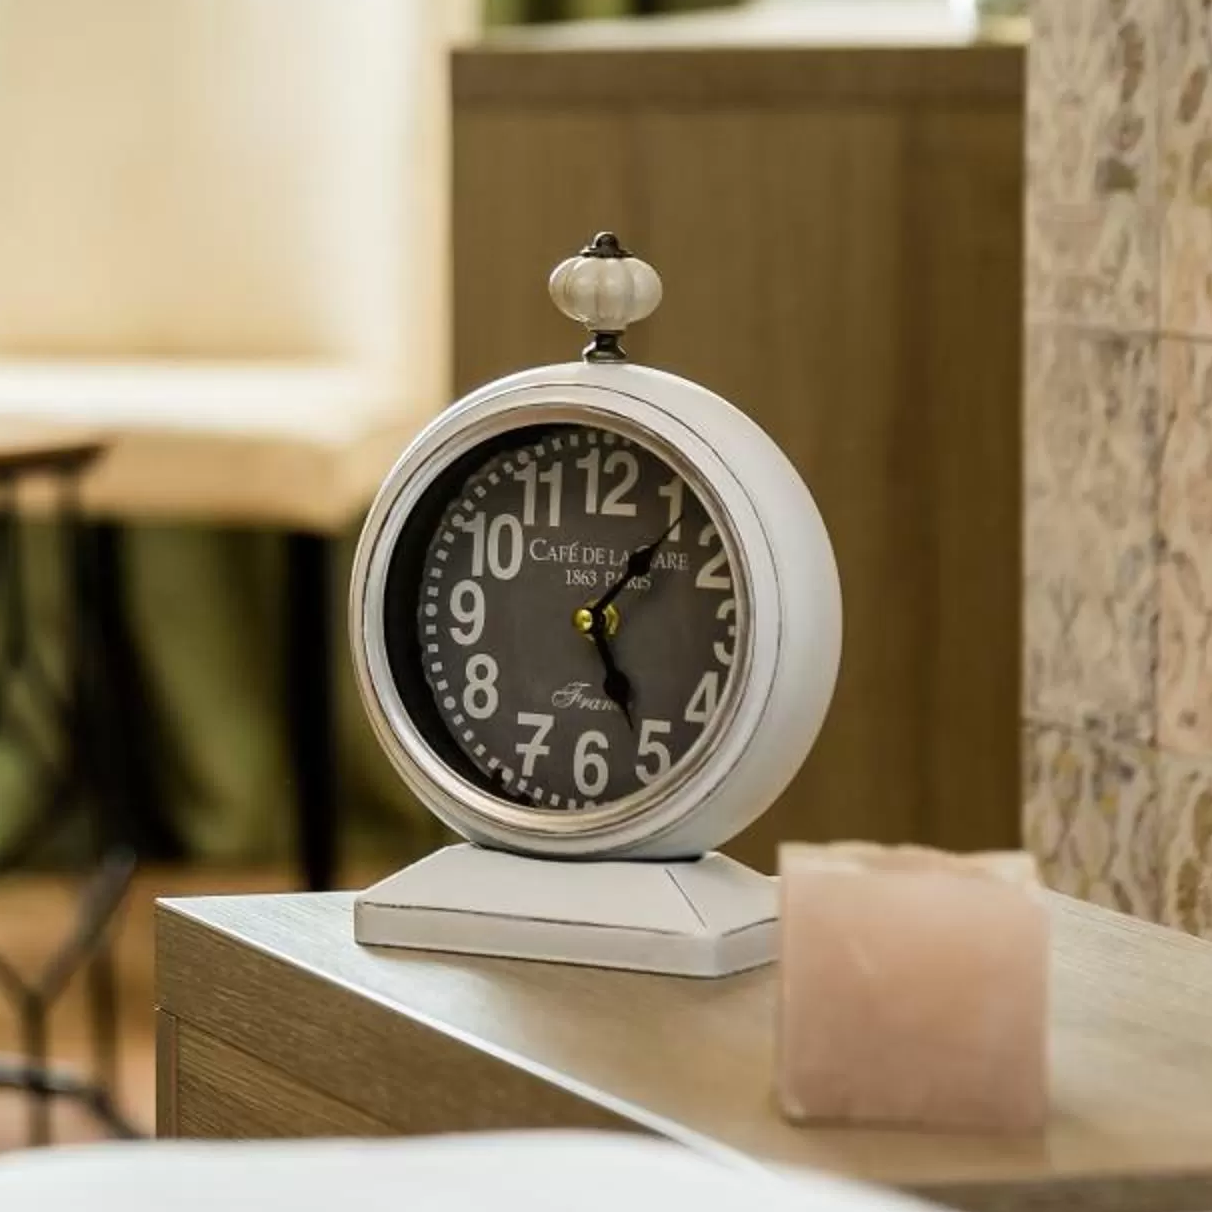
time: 5:06
